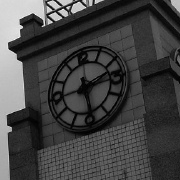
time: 2:29
